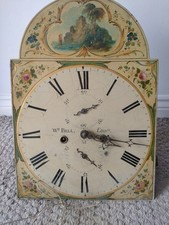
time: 3:17
